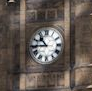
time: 10:44
